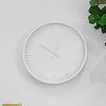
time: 12:50
